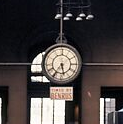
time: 5:35
